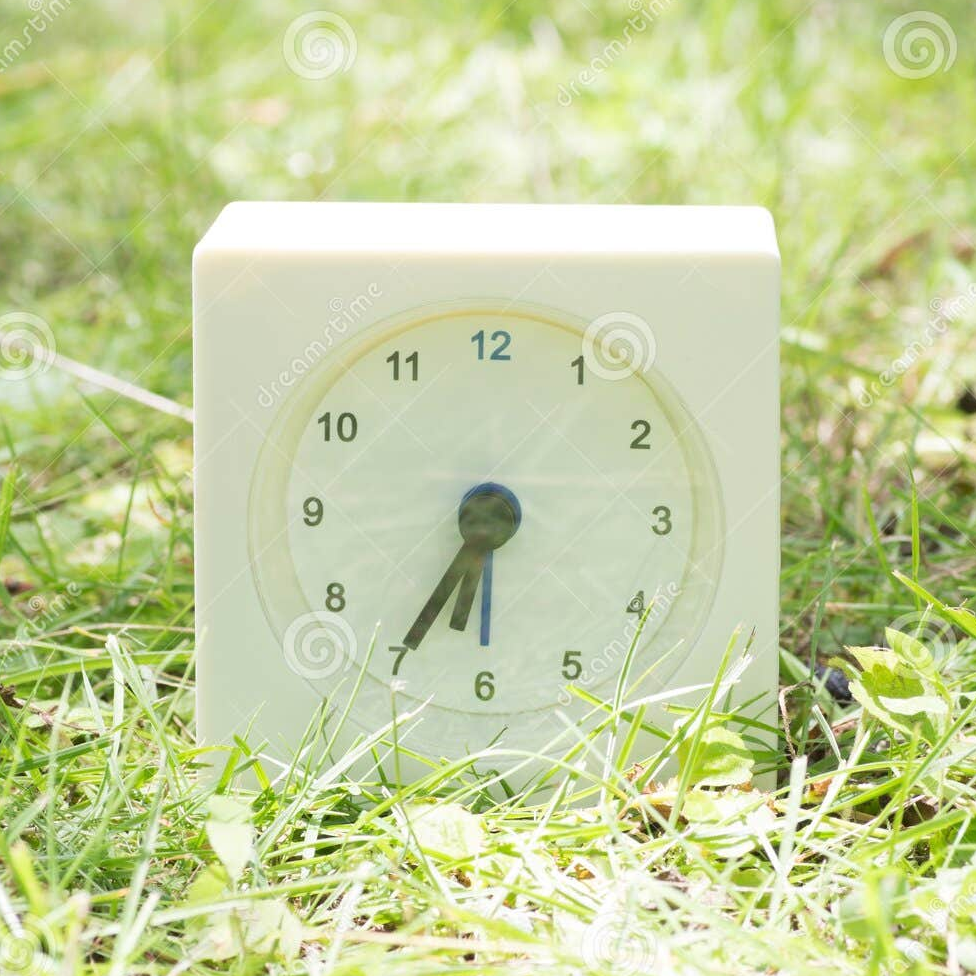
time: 6:35
